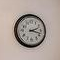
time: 2:18
